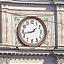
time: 1:42
